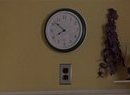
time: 7:52
